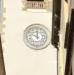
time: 10:00
